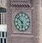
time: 5:51
